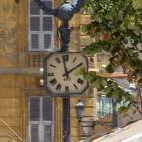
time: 1:58
